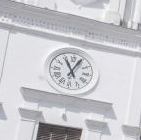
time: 11:04
